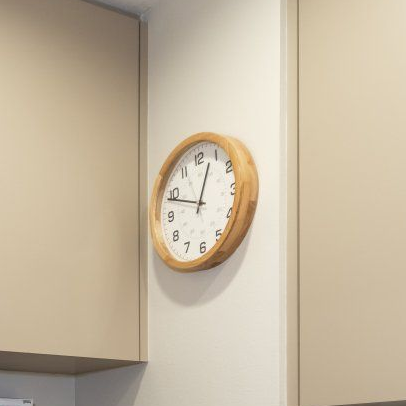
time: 12:48
